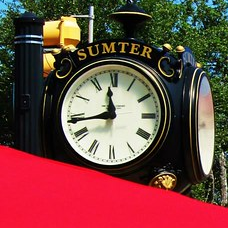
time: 11:43
